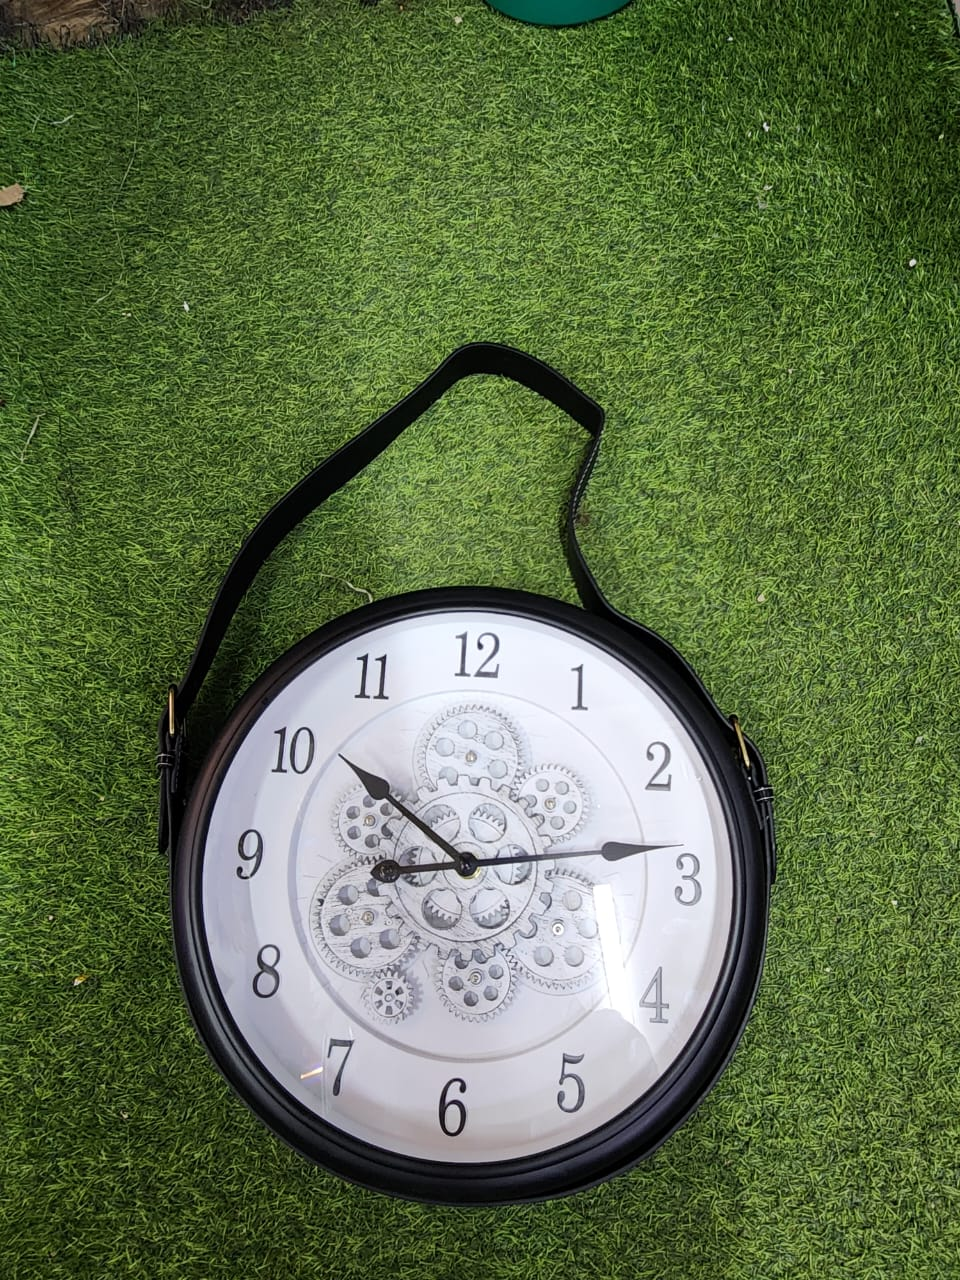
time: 10:13
